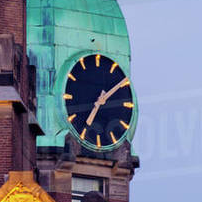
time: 7:09
